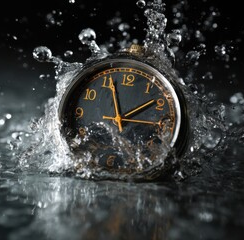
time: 1:56
